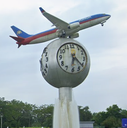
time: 6:21
